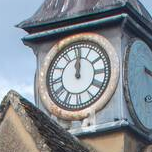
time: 12:01
